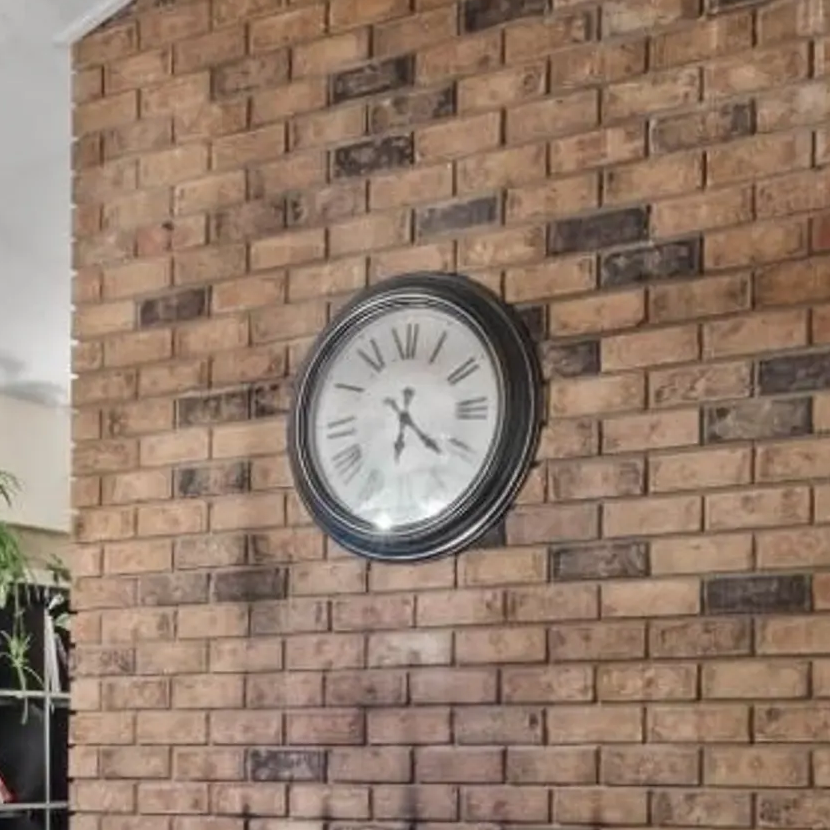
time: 6:21
